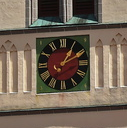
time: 1:10
